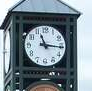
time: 11:15
